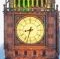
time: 8:32
